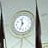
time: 11:34
